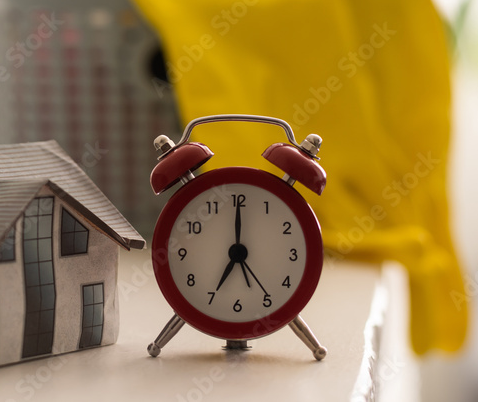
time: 7:00
